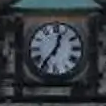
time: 12:36
